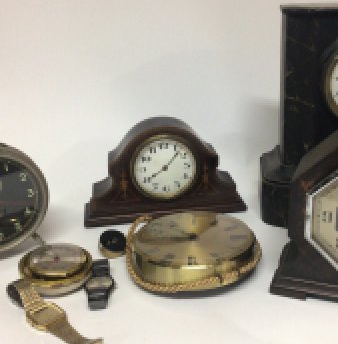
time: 8:07
